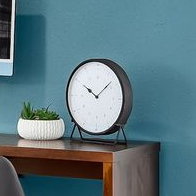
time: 10:07
